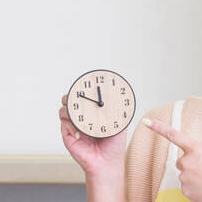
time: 11:49
